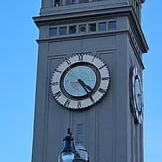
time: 4:24
